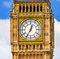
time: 12:35
